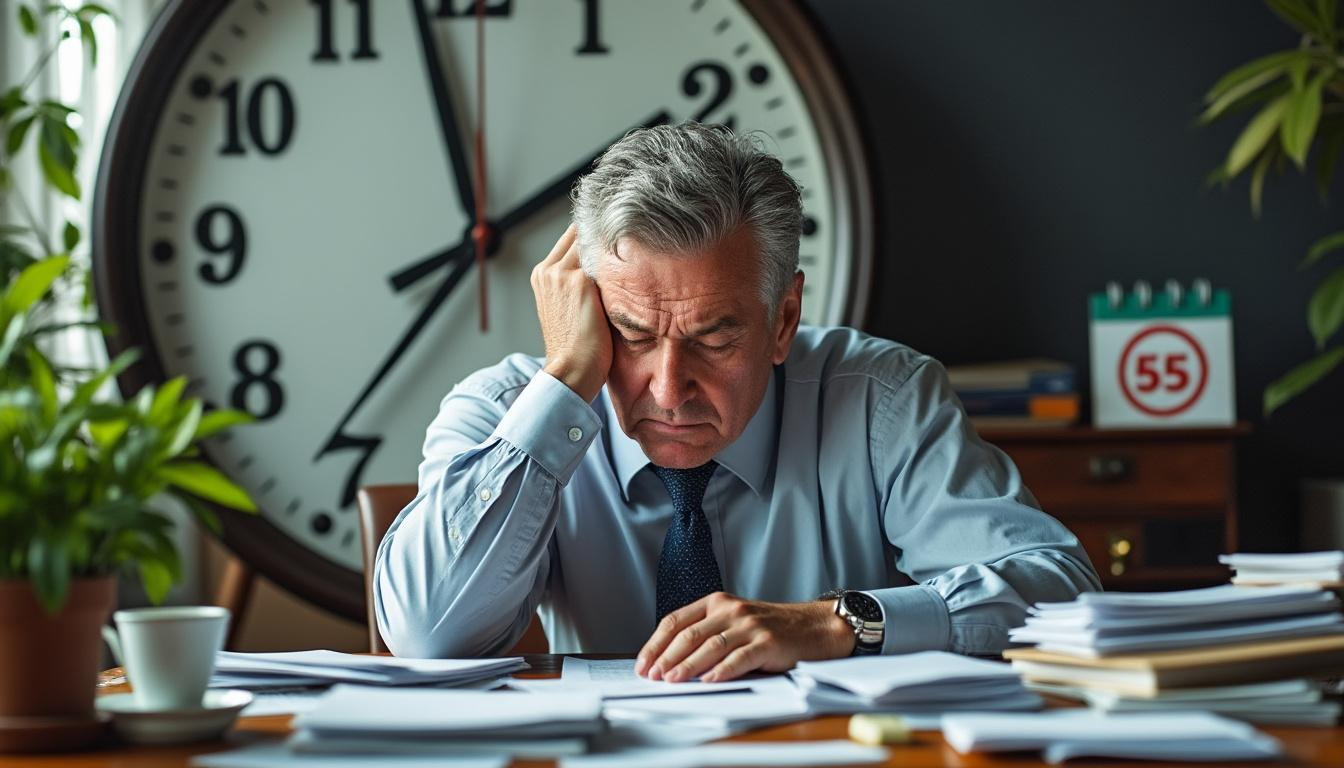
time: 11:36
